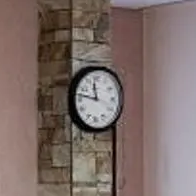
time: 11:46
